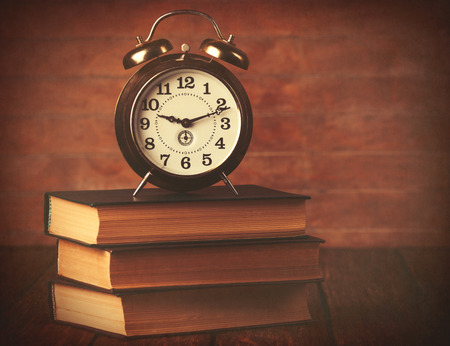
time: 9:11
